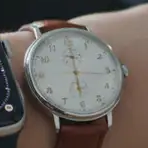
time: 6:00
